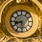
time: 8:29
